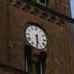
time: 5:30
